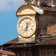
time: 6:06
